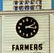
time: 2:16
